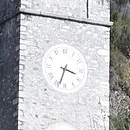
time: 3:33
